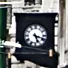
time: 5:18
